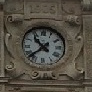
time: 10:38
